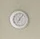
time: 7:06
